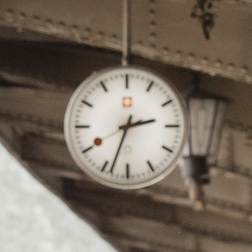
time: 2:33
